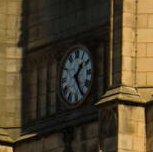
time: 1:24
